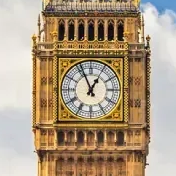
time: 12:56
